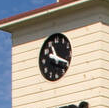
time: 11:19
